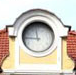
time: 11:46
